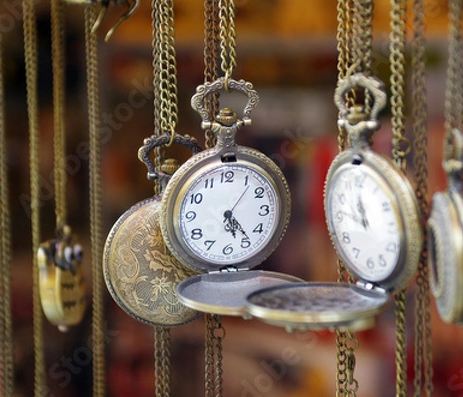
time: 5:23
